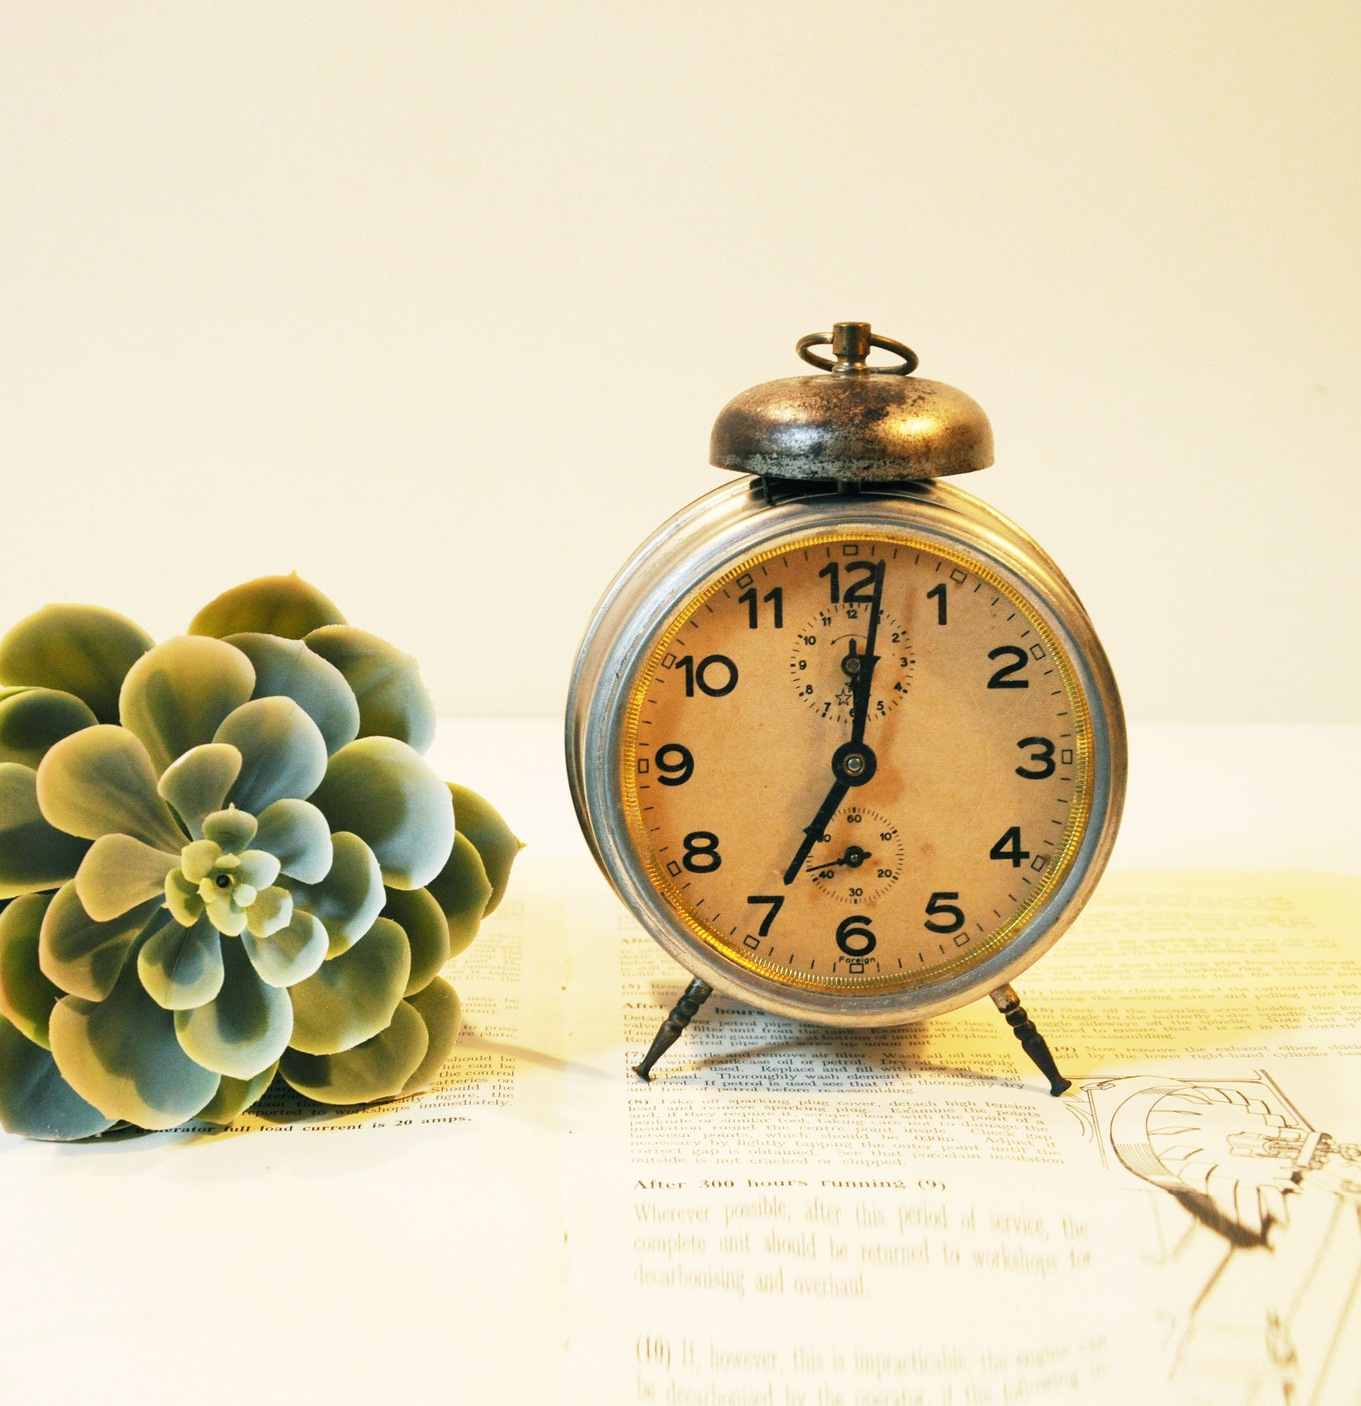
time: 7:01
